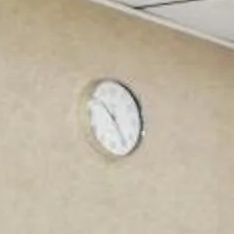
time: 10:24
